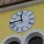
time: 11:44
